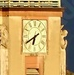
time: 6:40
